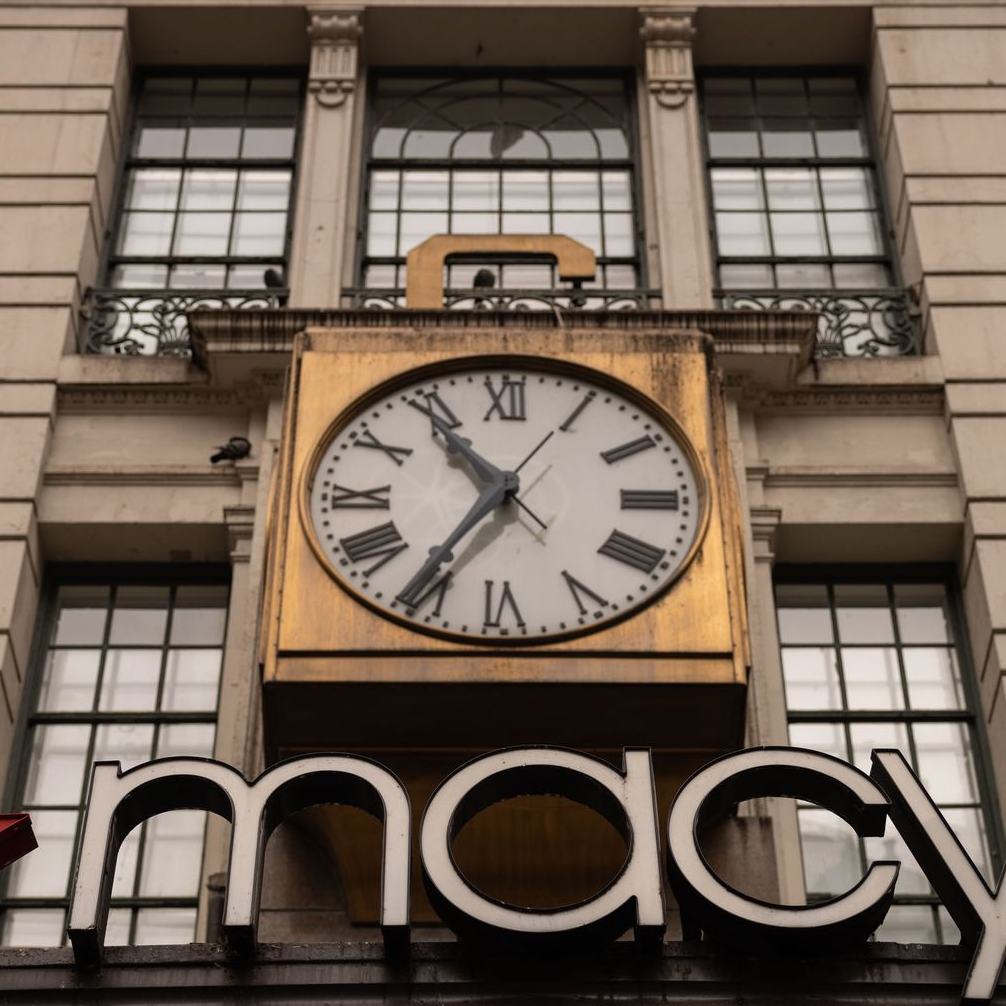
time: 10:35
